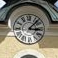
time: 3:07
